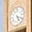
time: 5:18
